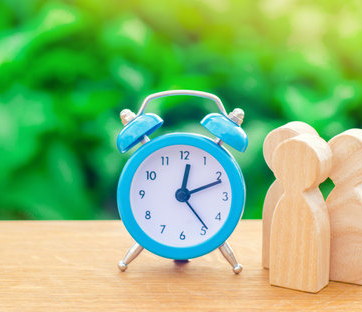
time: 12:11
